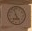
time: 4:57
